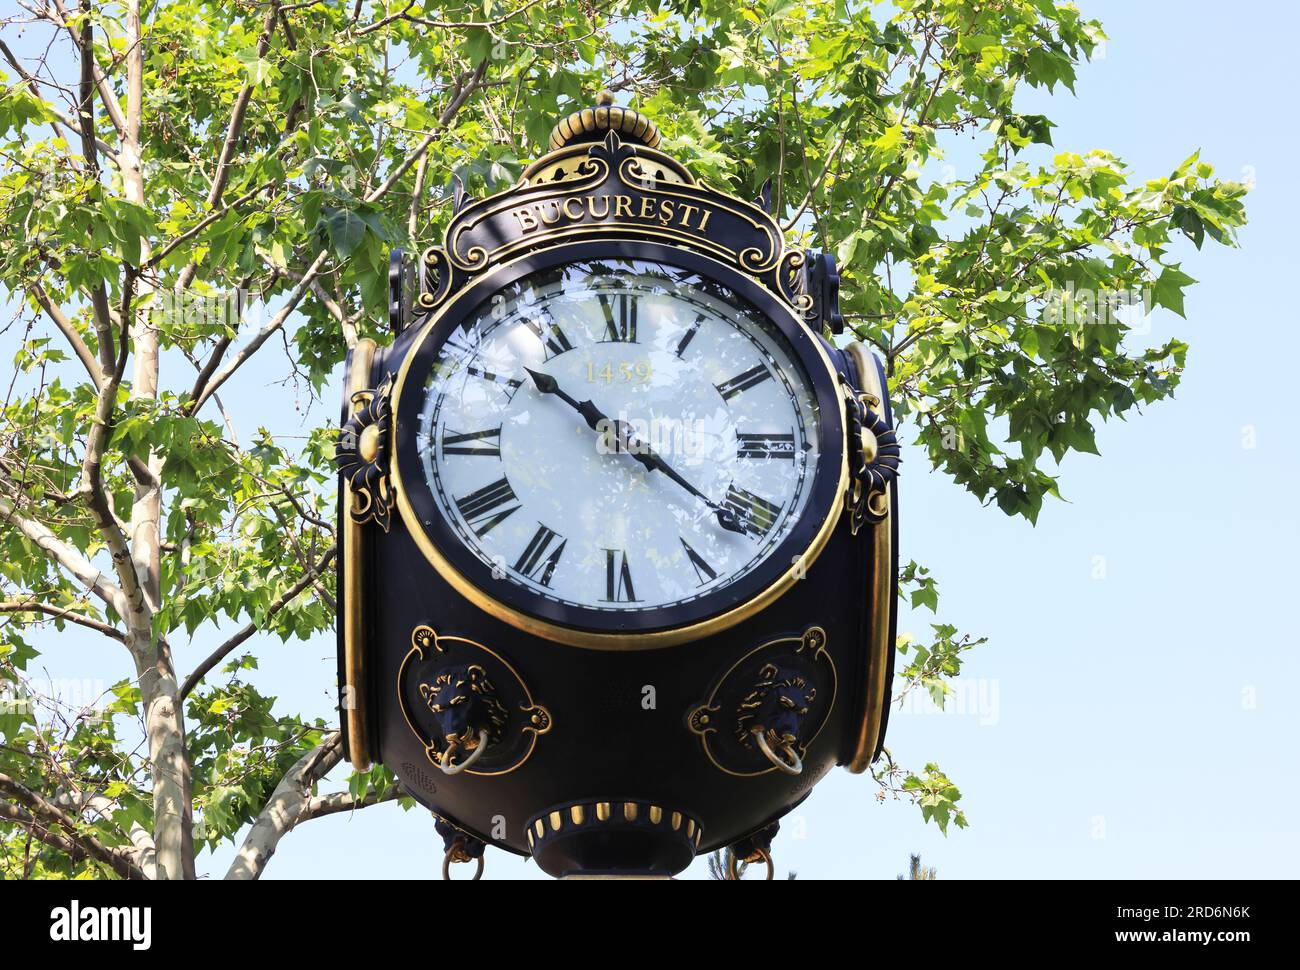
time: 10:21
